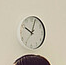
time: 10:03
